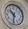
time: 10:32
